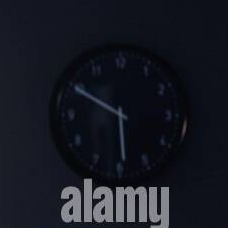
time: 5:50
